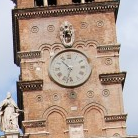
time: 10:32
